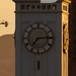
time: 7:14
